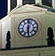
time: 6:01
